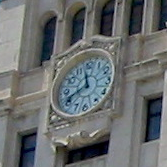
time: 11:41
